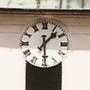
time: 1:29
